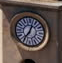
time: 7:03
